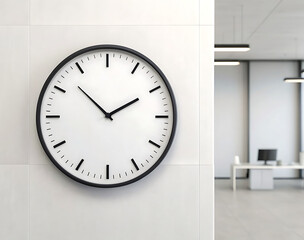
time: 1:52
